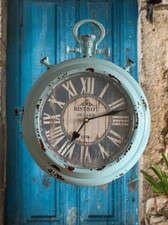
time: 7:12
